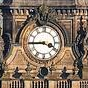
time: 3:44
